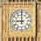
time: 8:59
